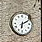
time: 6:10
